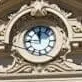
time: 11:45
